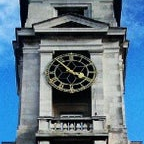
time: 3:53
